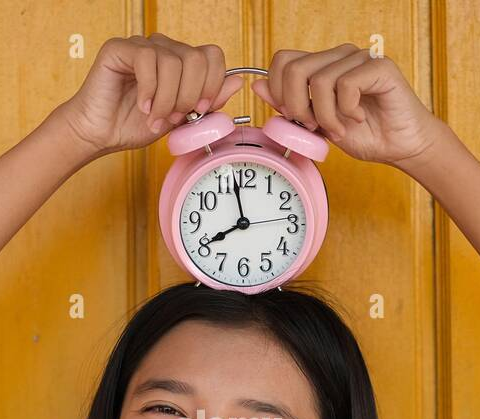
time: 7:58
